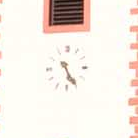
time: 5:24
